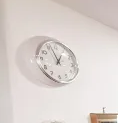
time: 12:56
